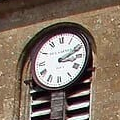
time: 3:11
